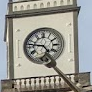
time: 4:46
